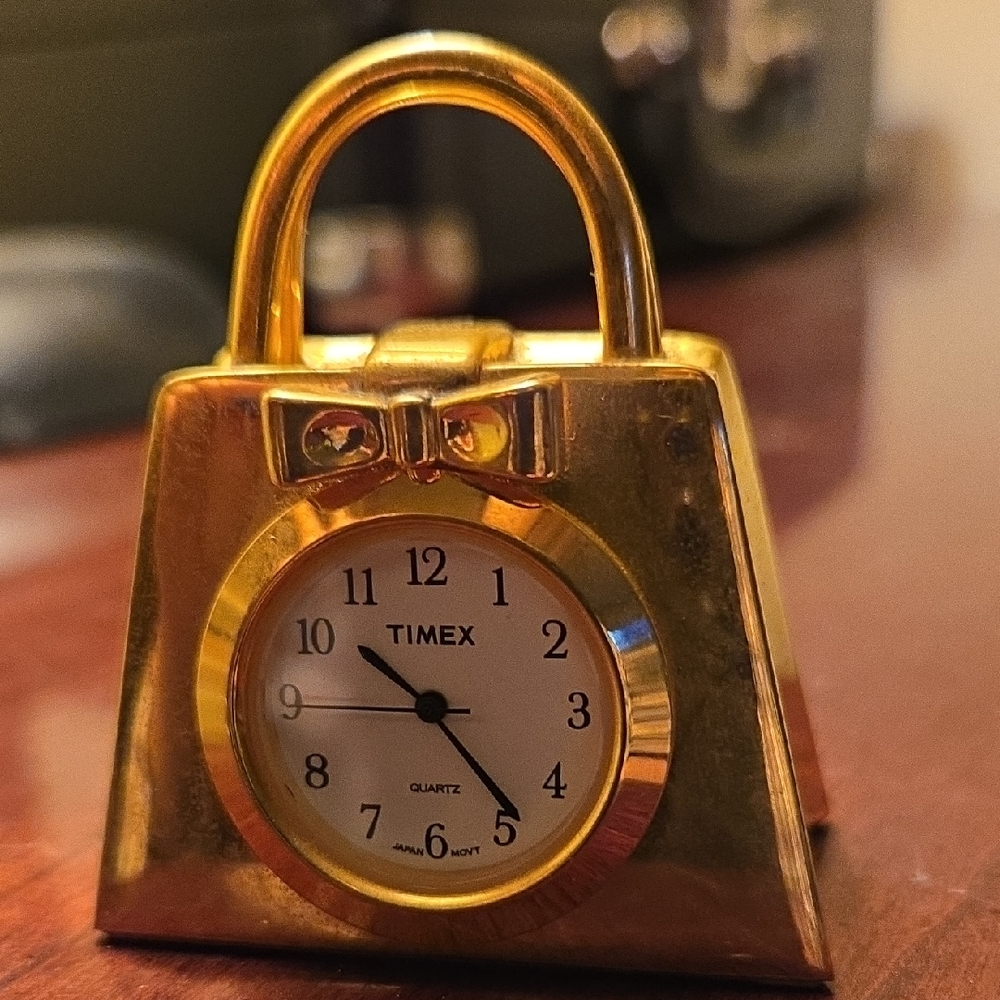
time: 10:23
